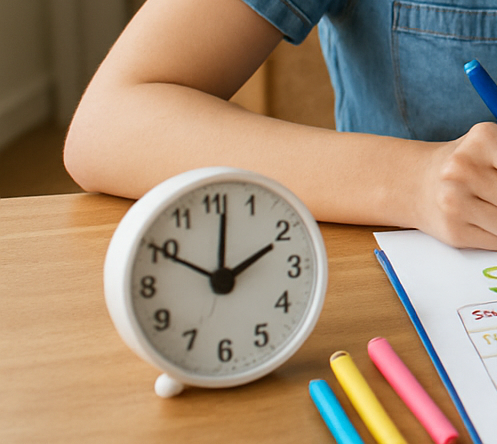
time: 2:01
